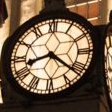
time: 8:21
